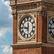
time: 11:46
